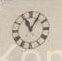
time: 11:05
